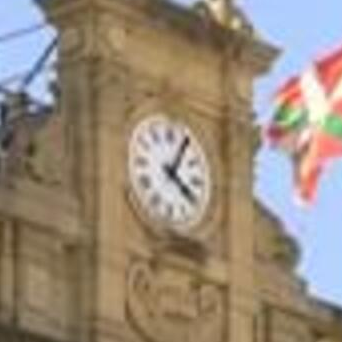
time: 4:04
